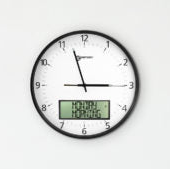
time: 2:57
